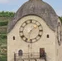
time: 7:09
